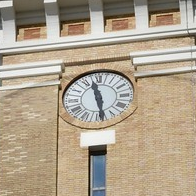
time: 11:28
